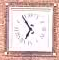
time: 6:54
